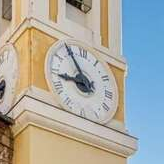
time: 8:54
